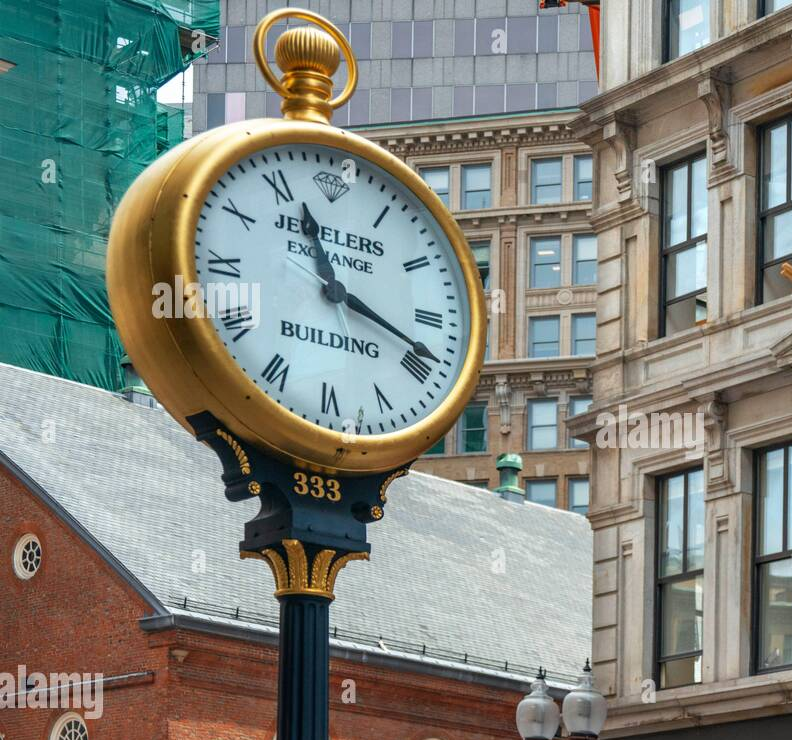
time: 11:18
